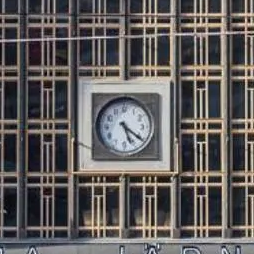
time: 5:21
